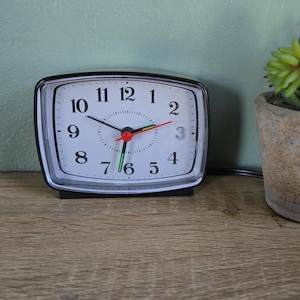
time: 2:32
